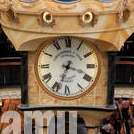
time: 3:33
